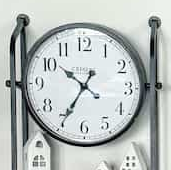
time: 10:35
